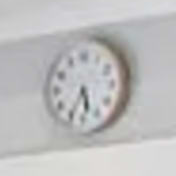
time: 5:34
